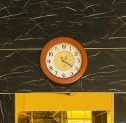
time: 4:21
